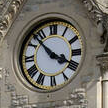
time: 3:52
